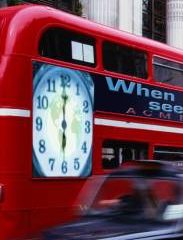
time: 6:00
